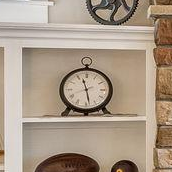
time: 11:28
